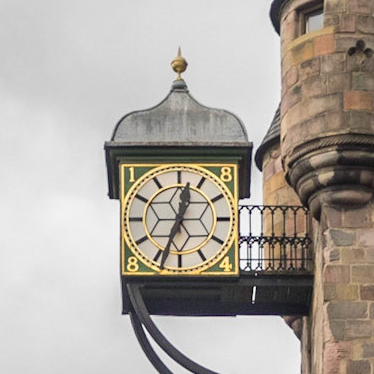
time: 12:34
